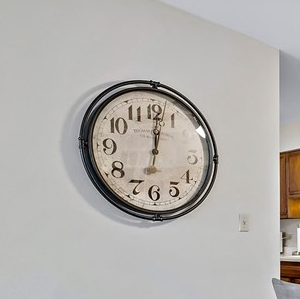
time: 12:01
